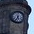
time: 5:34
